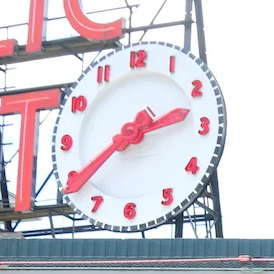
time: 2:39
